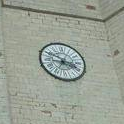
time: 3:48
